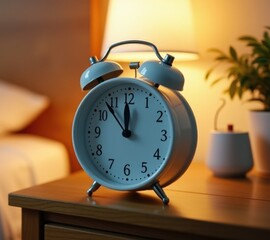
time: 11:53
